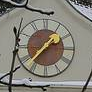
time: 1:37
